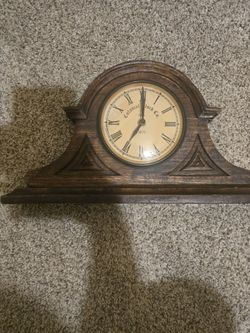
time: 7:00
